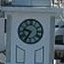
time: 9:35
